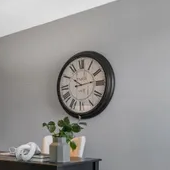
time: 10:13
